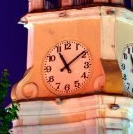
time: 11:09
